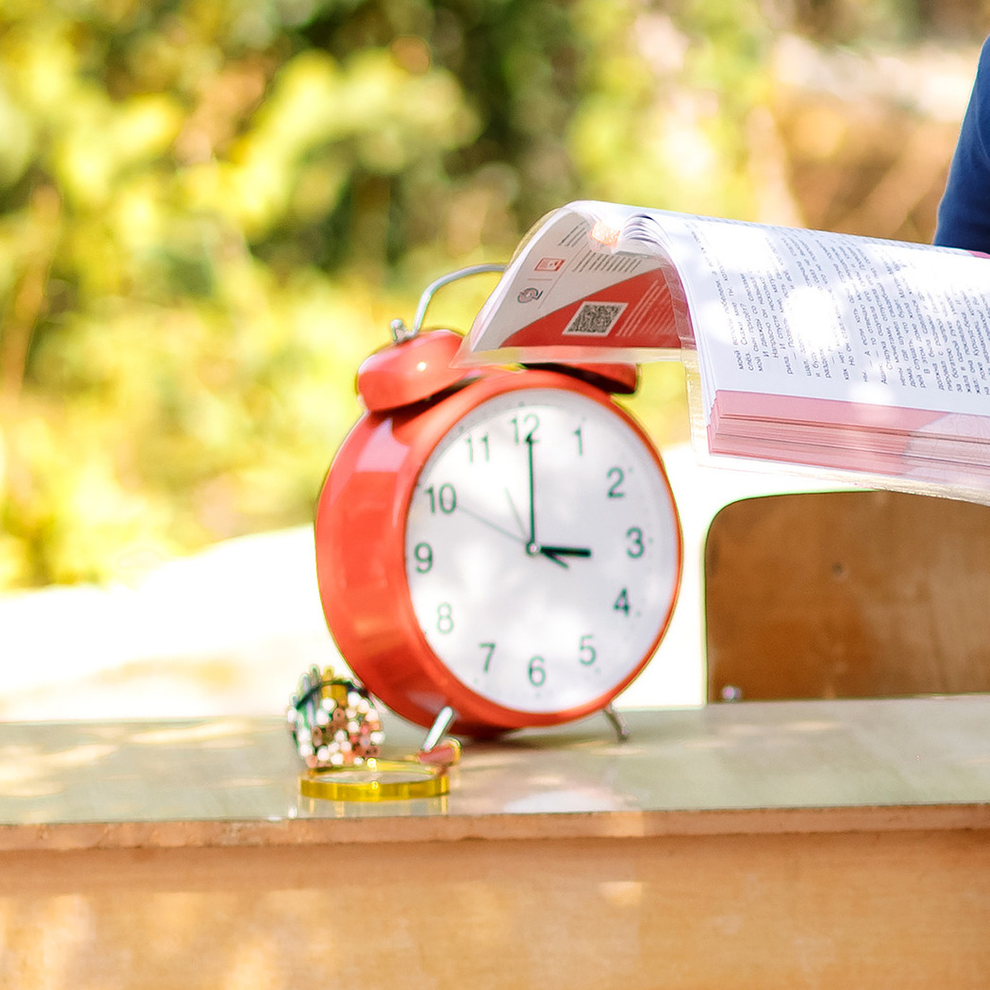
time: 3:00
